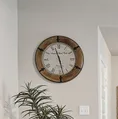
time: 11:28
